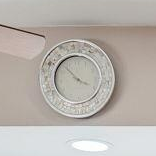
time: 3:52
